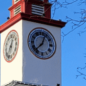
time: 12:37
